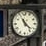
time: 11:22
